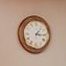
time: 3:06
